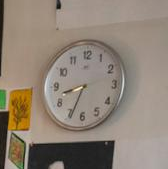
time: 8:34
